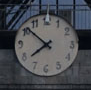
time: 7:51
